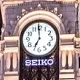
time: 6:59
